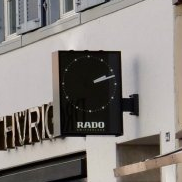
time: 2:12
